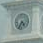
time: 4:34
